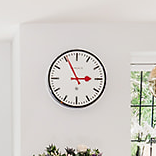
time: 2:55
